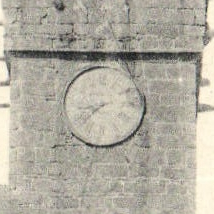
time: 8:38
